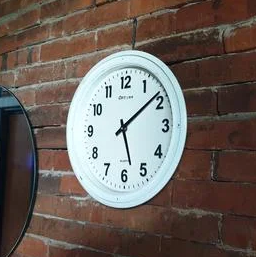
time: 5:08
